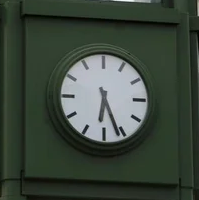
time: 6:26
